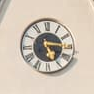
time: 5:16
